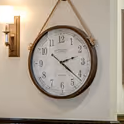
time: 2:21
